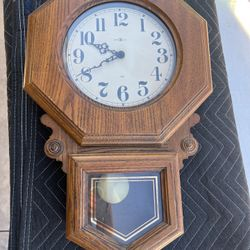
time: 9:41
